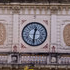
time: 12:30
